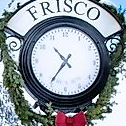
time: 10:35
